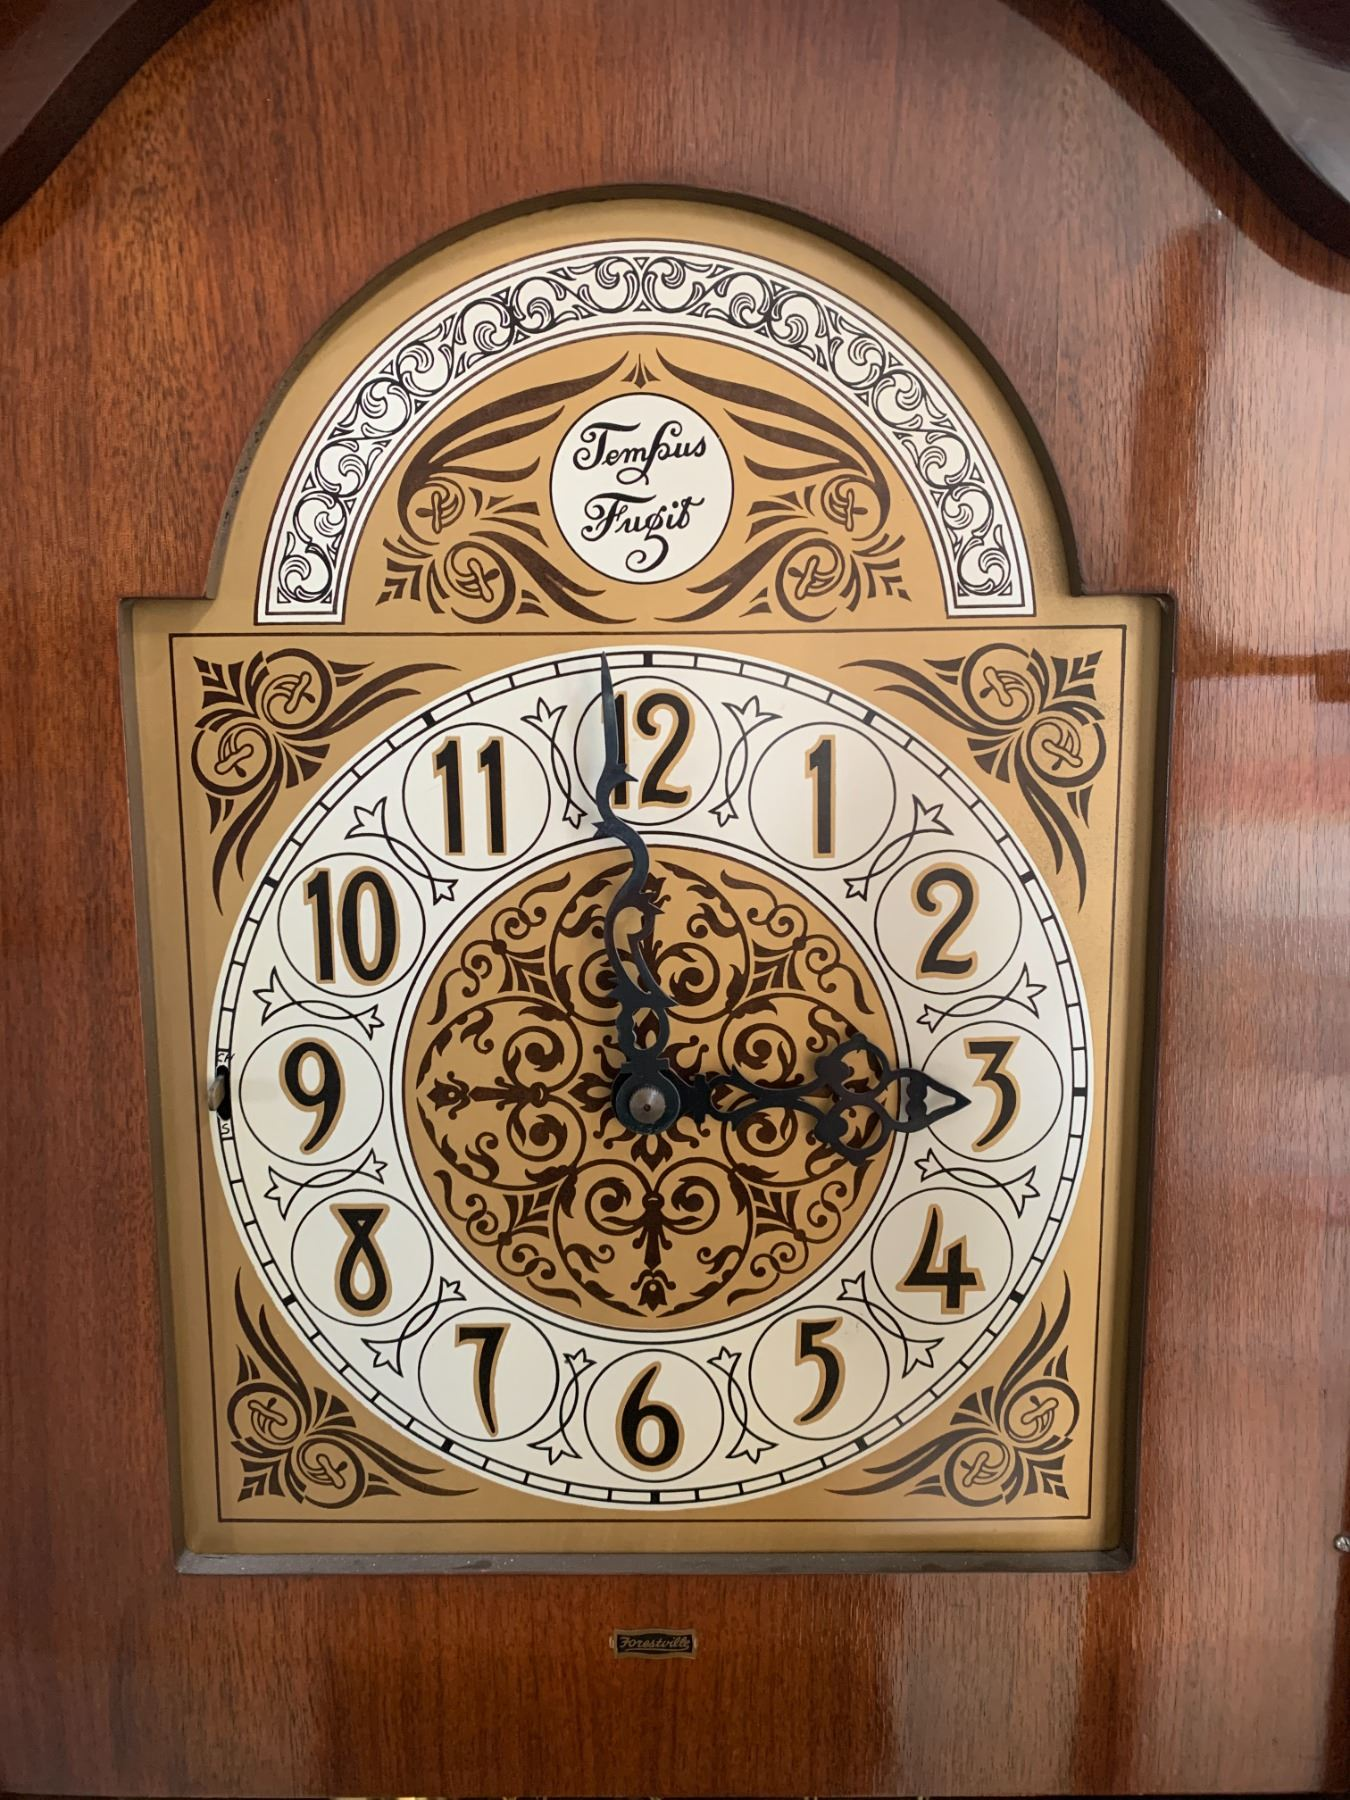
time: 2:59
